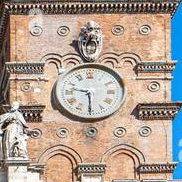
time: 9:29
